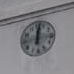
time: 12:01
